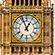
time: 12:56
